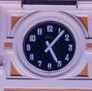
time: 5:06
